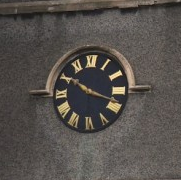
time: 10:18
